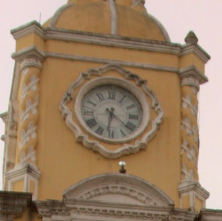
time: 6:21
